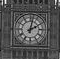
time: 2:02
